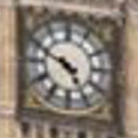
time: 4:49
